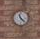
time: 11:22
